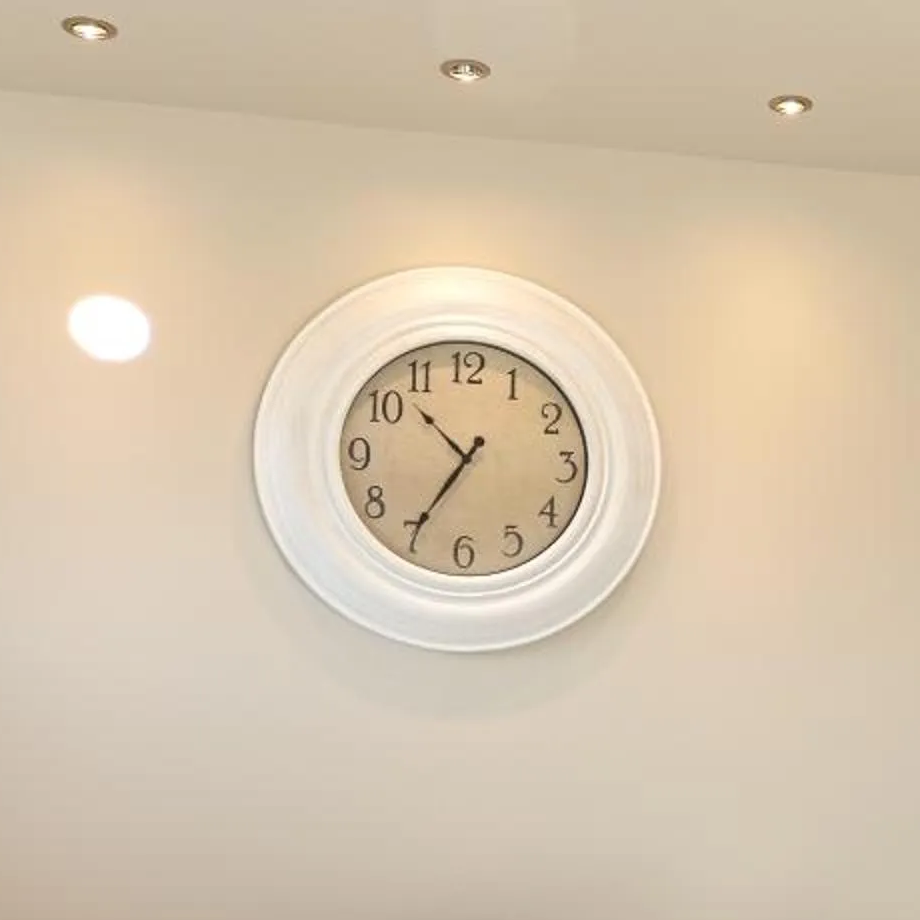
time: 10:35
